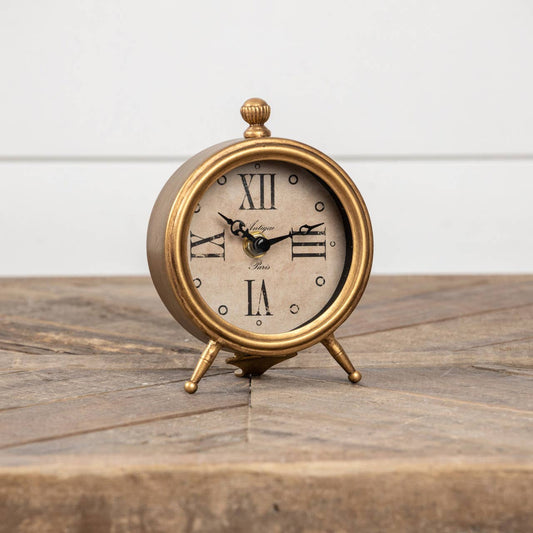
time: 10:12
